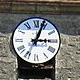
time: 3:03
